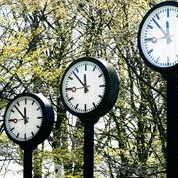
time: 11:52
